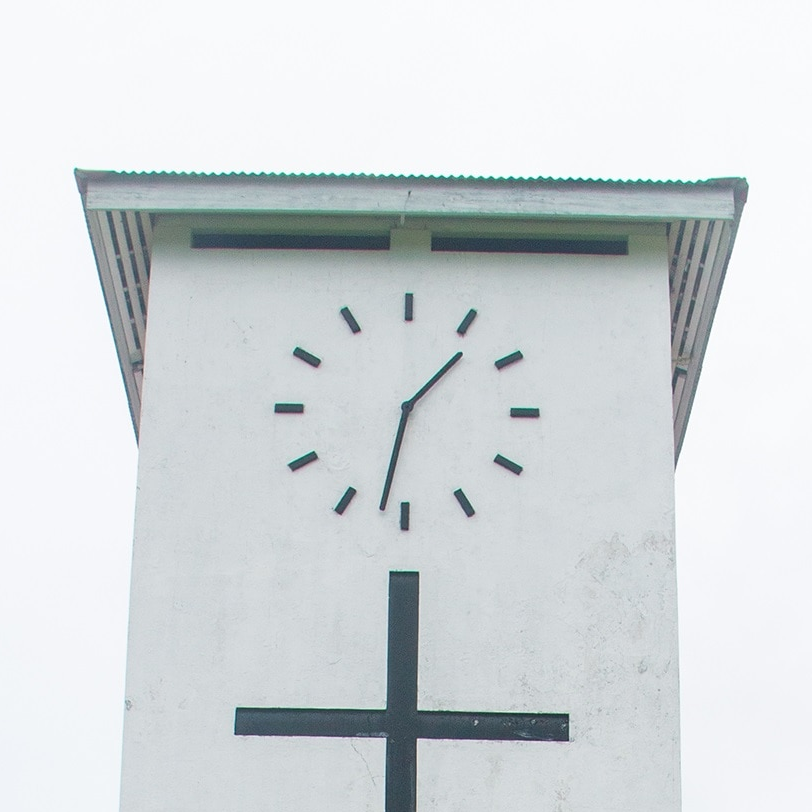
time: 1:32
